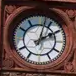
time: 2:02
